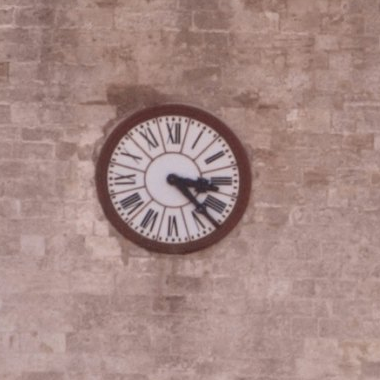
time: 3:22
